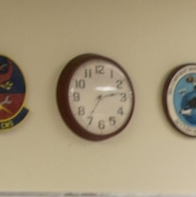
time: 2:35
